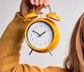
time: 1:50
